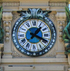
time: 1:19
